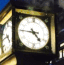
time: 4:45
